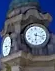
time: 6:17
